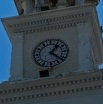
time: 1:21
